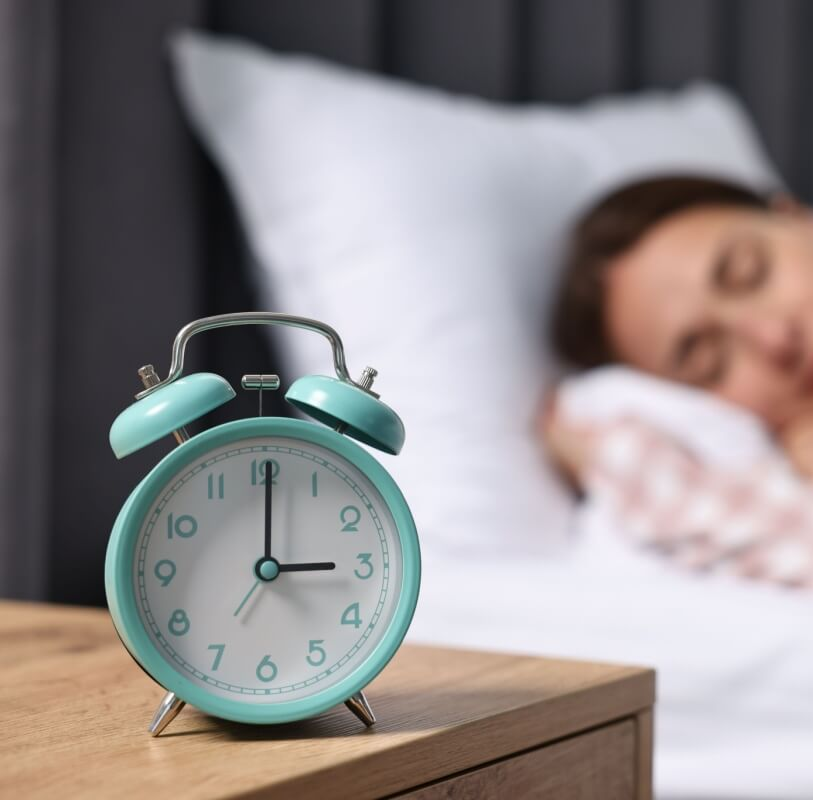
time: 3:00
